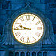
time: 9:44
